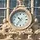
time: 10:36
